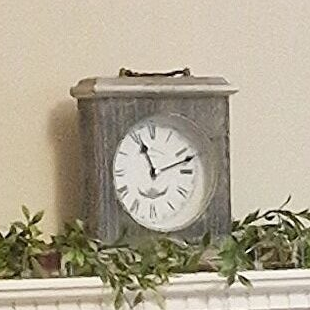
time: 11:11
